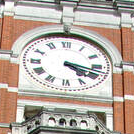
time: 4:17
